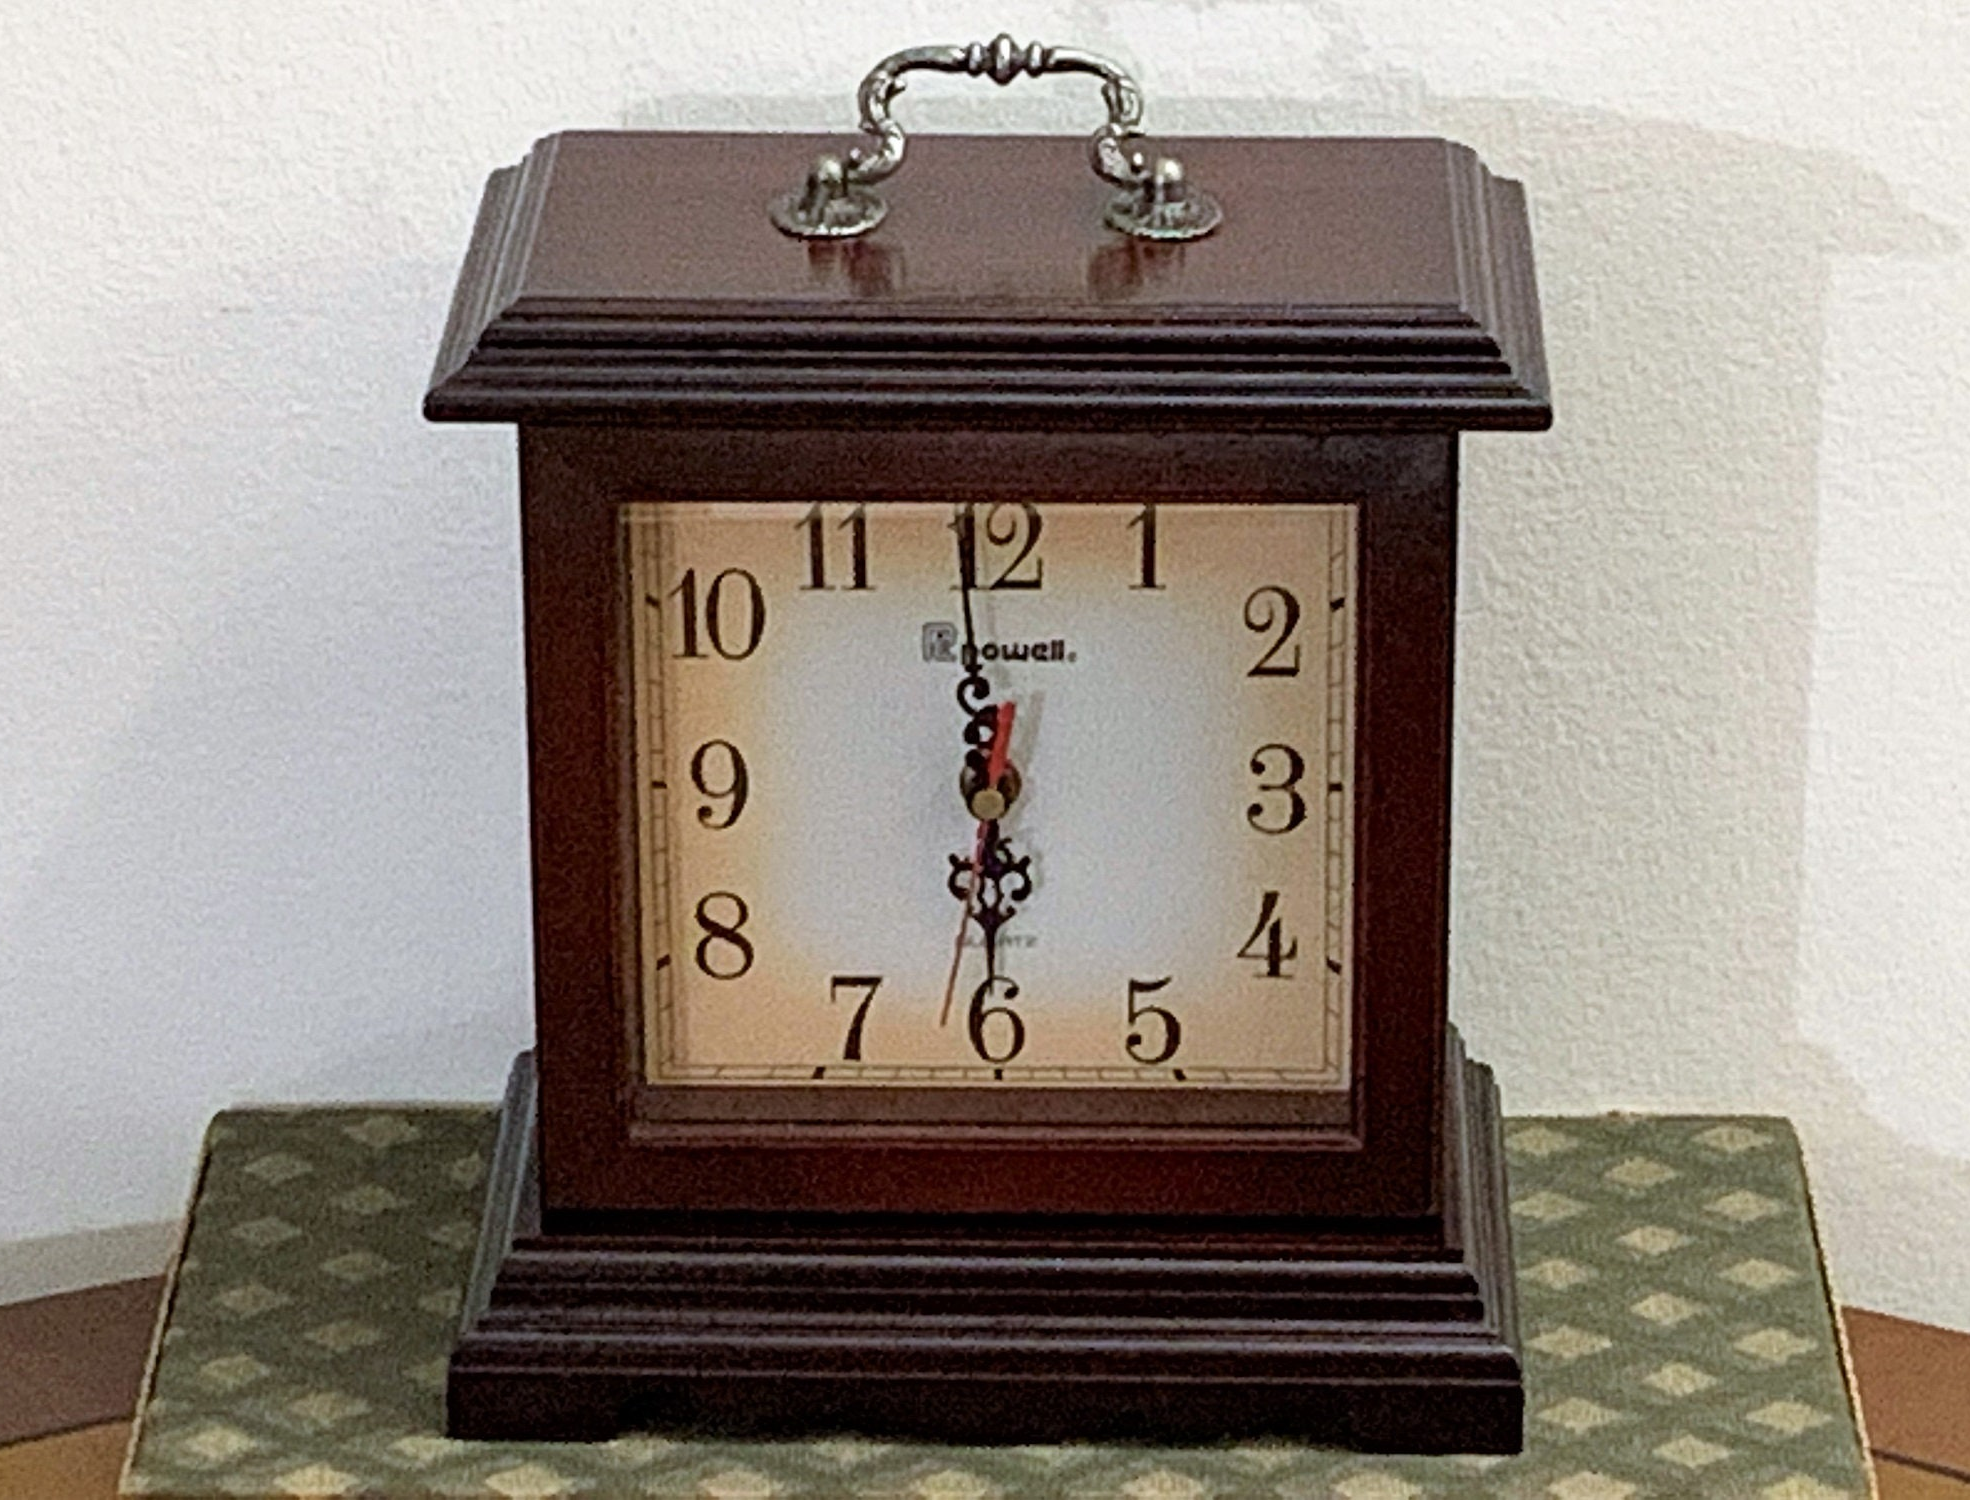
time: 5:59
